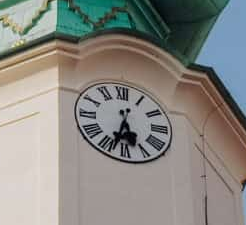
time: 5:33
